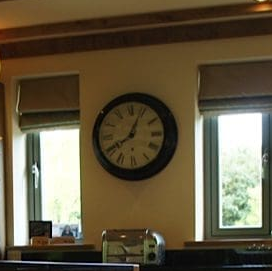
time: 8:04
